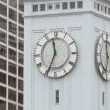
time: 11:34
